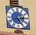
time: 5:14
